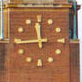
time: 11:44
